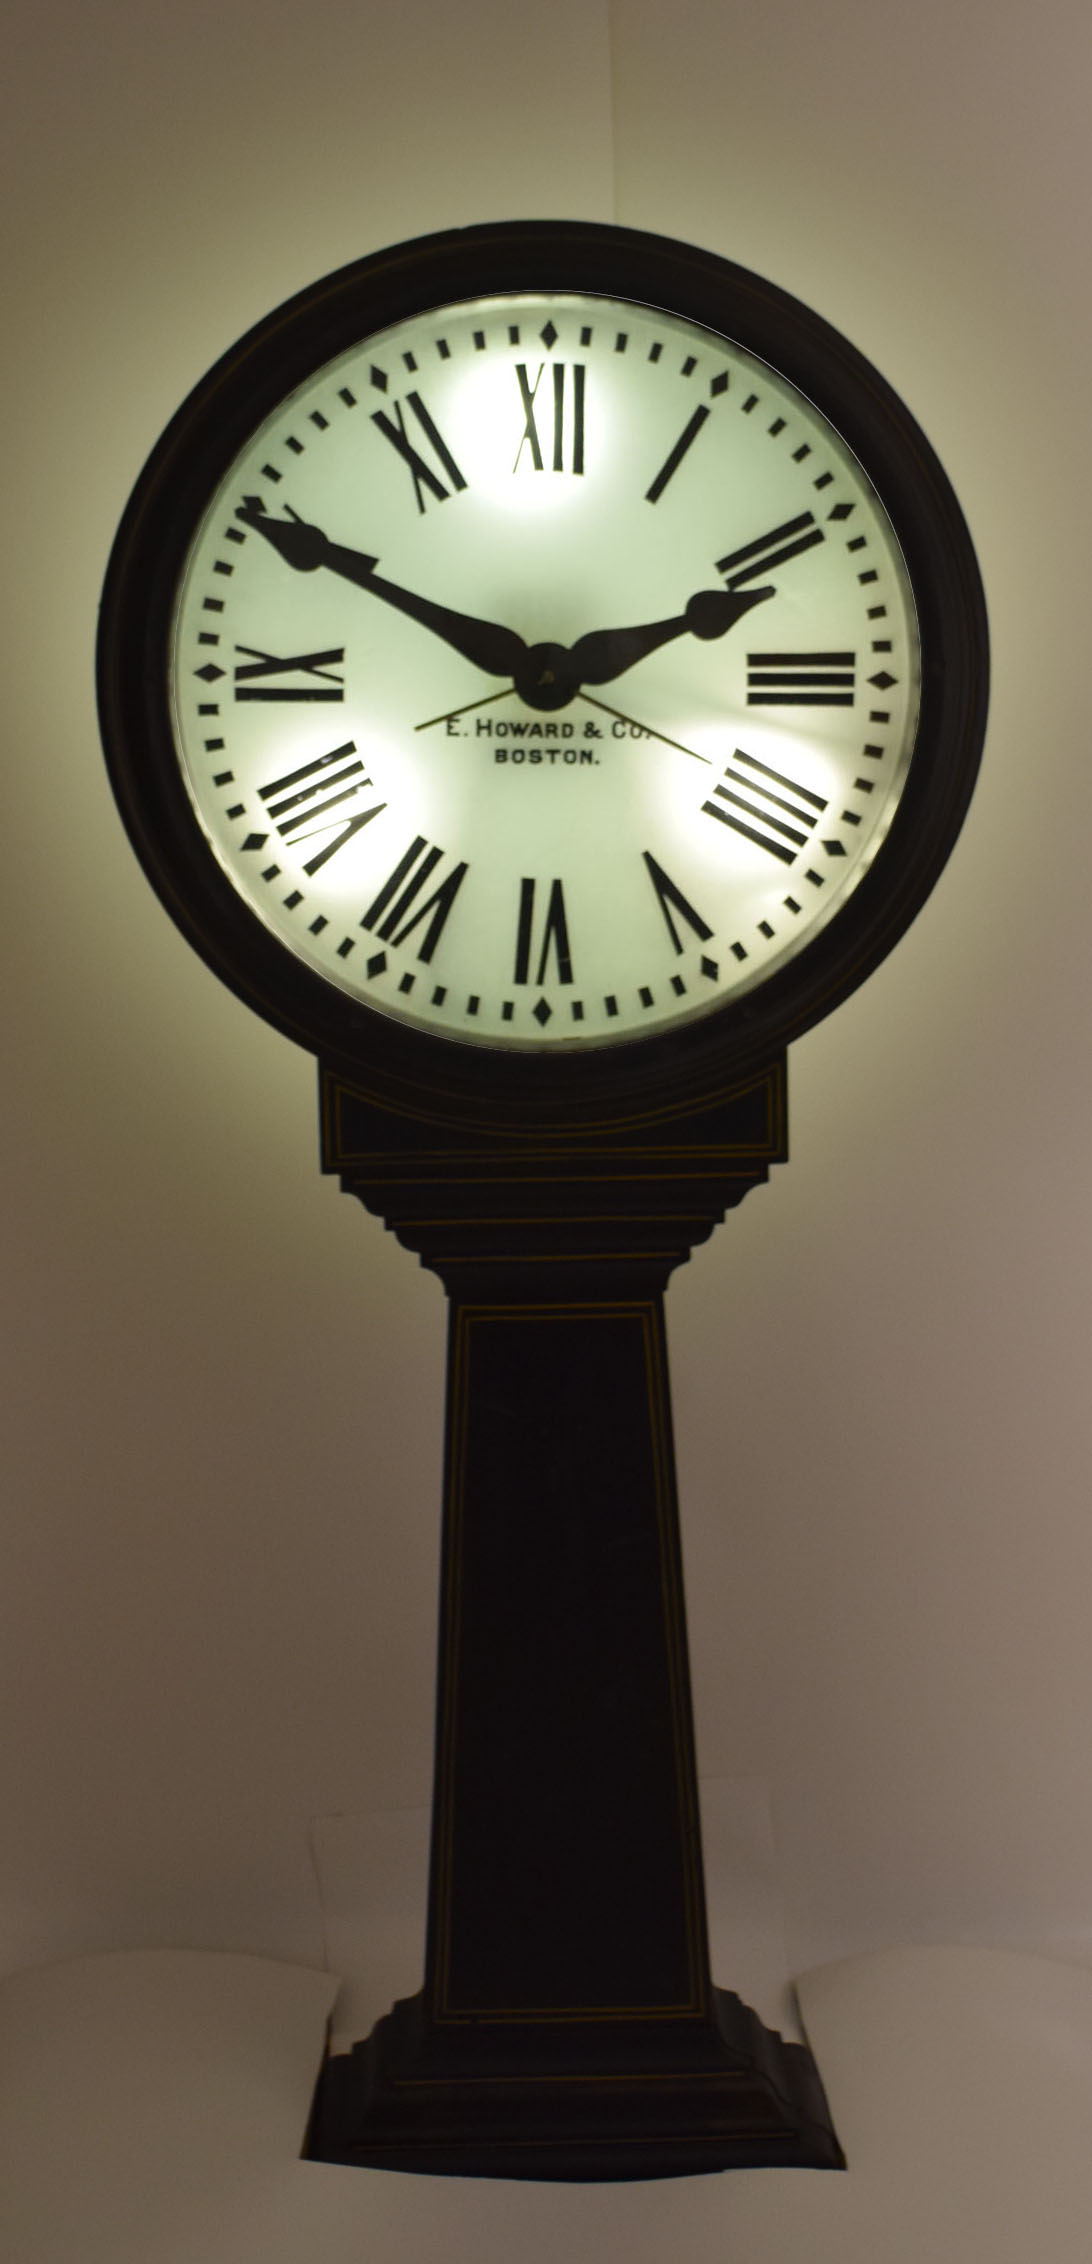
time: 1:49
